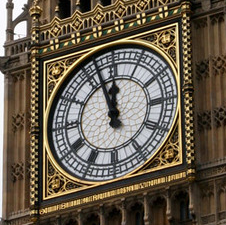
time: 11:56
